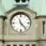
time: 11:23
